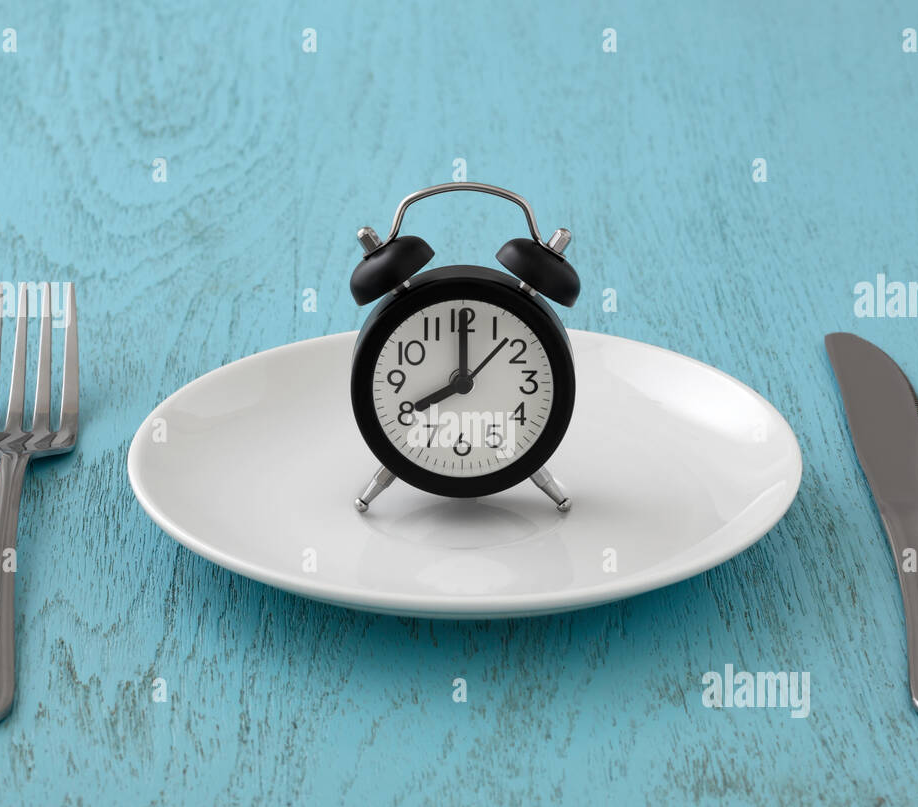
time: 8:00
